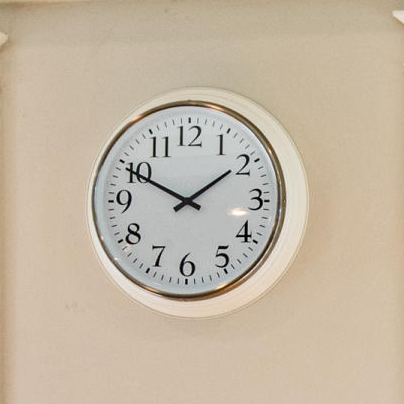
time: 1:49
